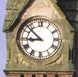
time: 8:52
